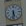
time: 5:31
